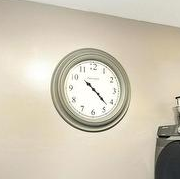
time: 4:22
